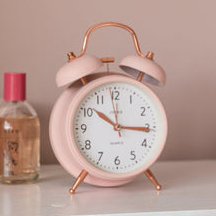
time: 10:15
